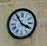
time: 3:54
